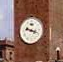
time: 9:18
